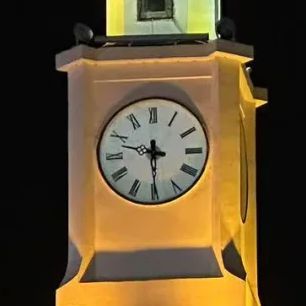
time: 9:29
